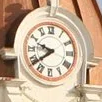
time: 9:38
